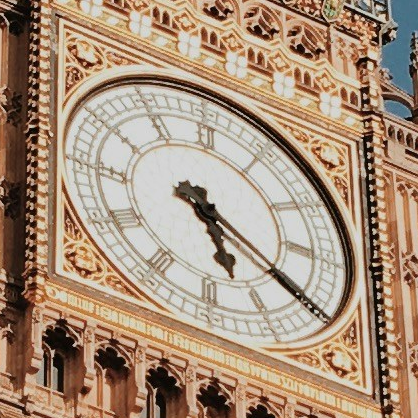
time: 5:20
